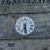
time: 6:28
